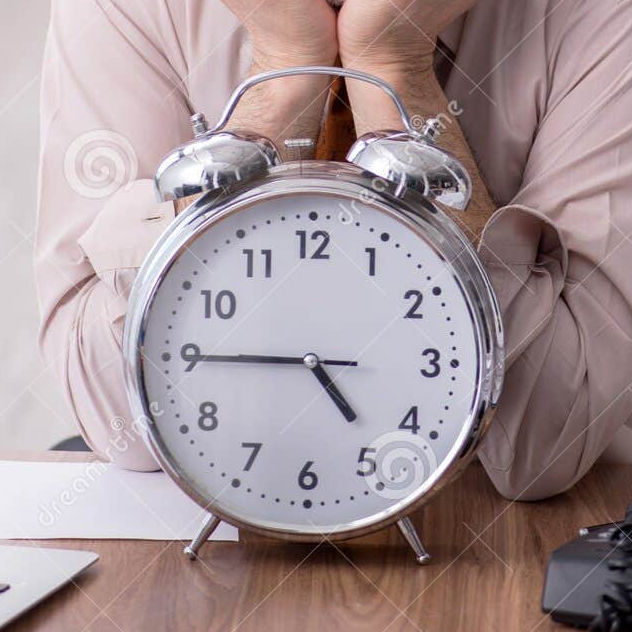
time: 4:45
